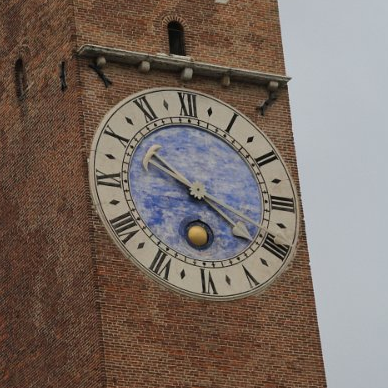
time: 10:21
